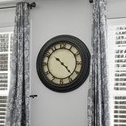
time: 10:22
